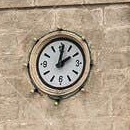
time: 2:01
